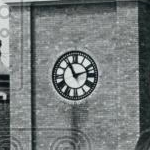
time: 11:12
